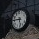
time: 5:45
